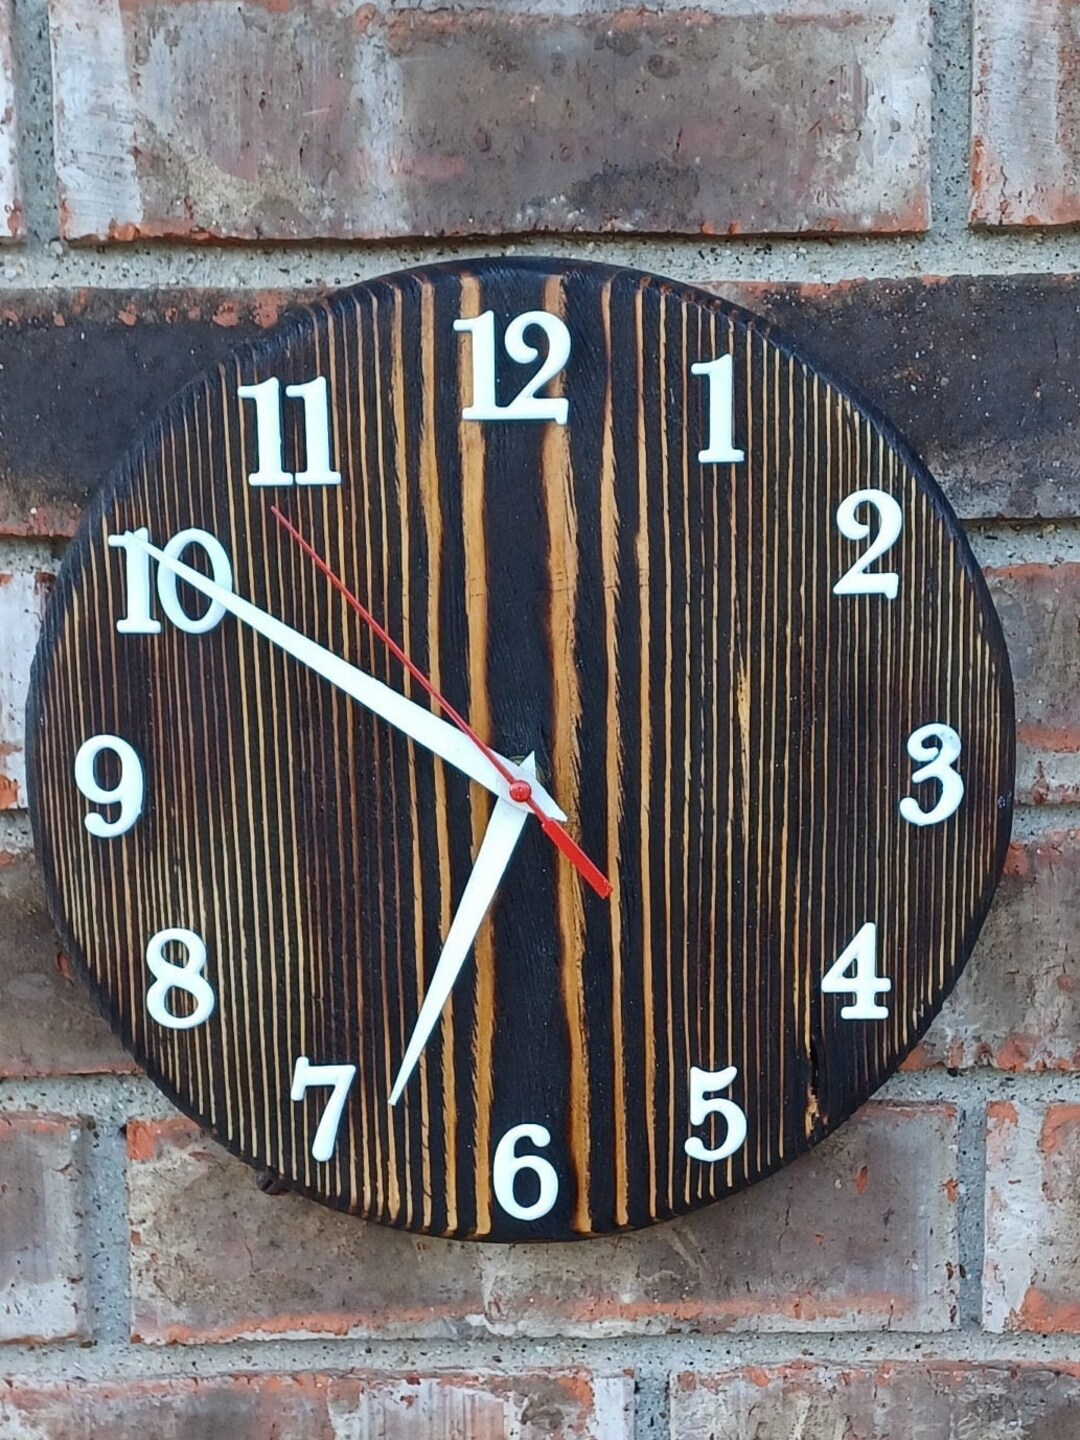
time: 6:50
